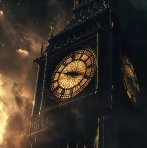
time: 3:49
